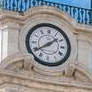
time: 1:39
